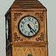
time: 5:22
